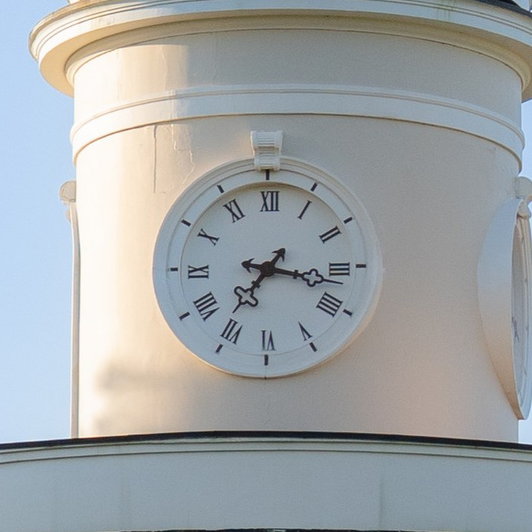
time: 7:16
